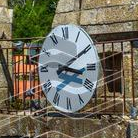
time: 3:09
